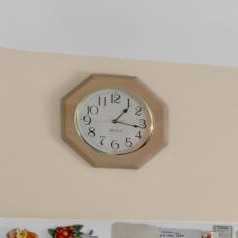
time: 1:16
